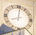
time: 8:01
